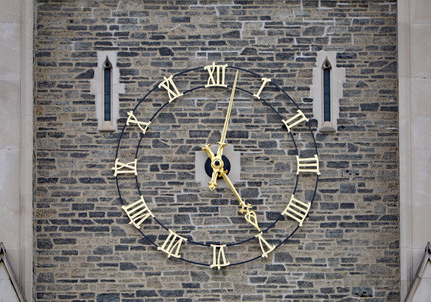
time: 5:02
